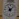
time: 11:07
